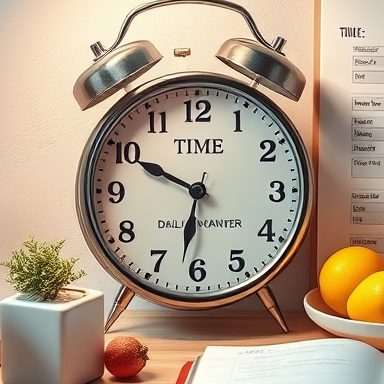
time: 9:49
